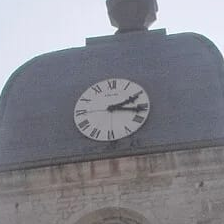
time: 2:16
